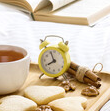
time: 7:56
